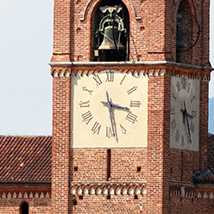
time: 3:28
